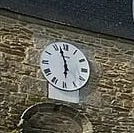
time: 5:57
